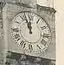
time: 11:56
